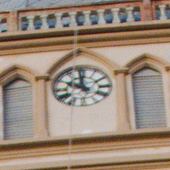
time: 9:58
